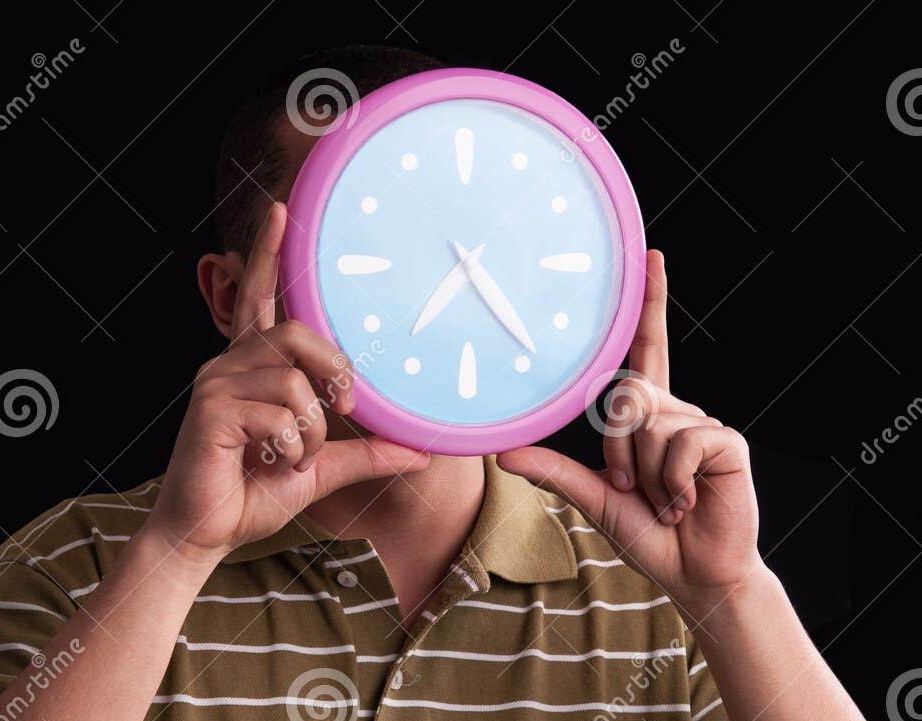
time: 7:23
